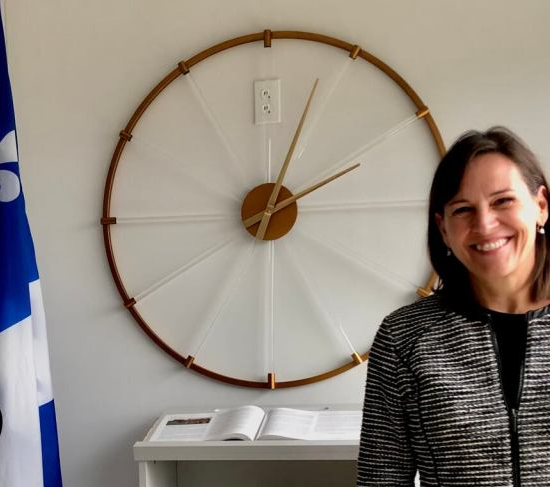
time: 2:03
